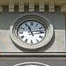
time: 11:14
